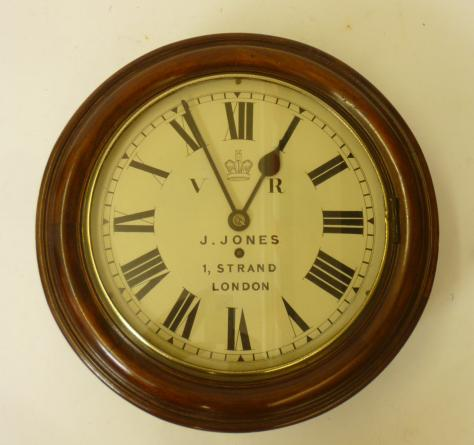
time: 12:55
